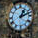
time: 1:11
